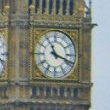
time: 11:18
